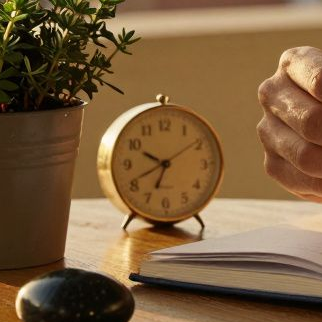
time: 6:49
